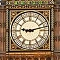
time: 9:12
